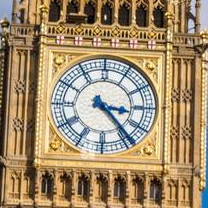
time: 3:23
